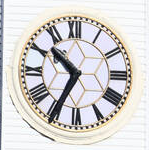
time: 10:34
